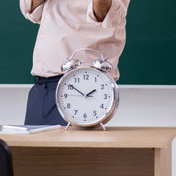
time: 1:50
